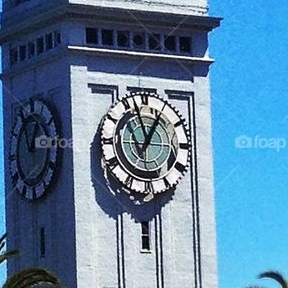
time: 12:57
